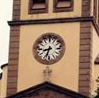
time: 8:33
